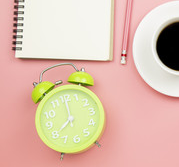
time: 8:00
